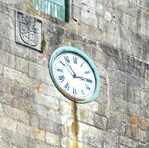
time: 2:53
